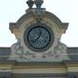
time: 12:37
